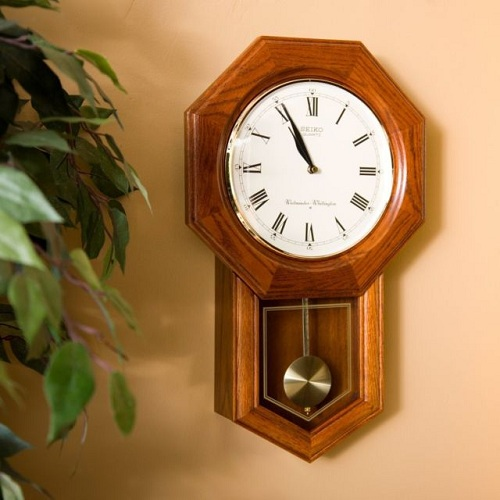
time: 10:55
